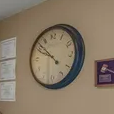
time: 9:52
